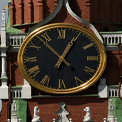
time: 12:53
